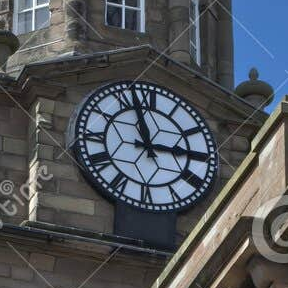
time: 2:57
